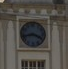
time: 3:42
